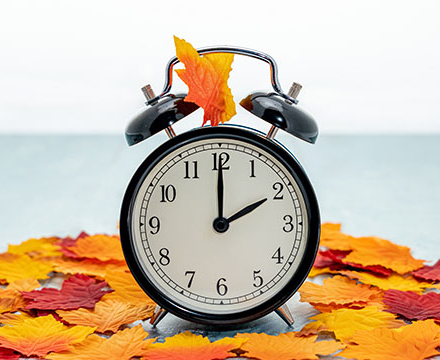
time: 2:00
